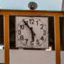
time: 5:54
